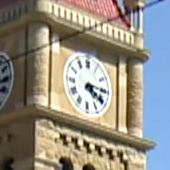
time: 4:15
